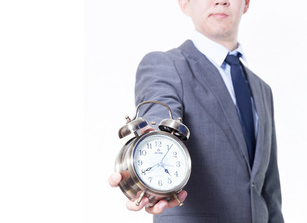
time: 4:40
